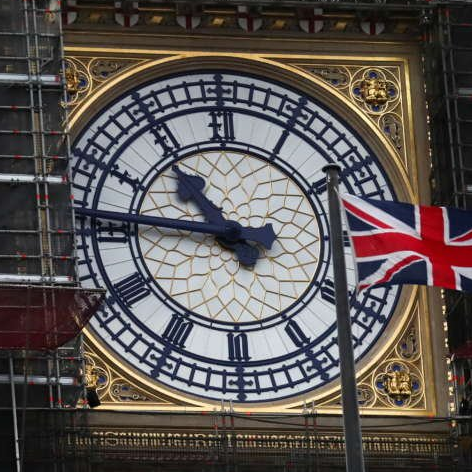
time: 10:45
